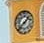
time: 1:37
